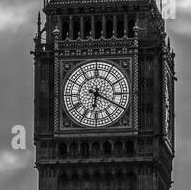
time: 6:19
